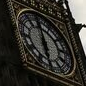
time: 5:59
